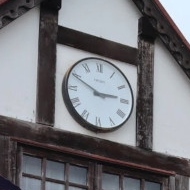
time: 2:49
